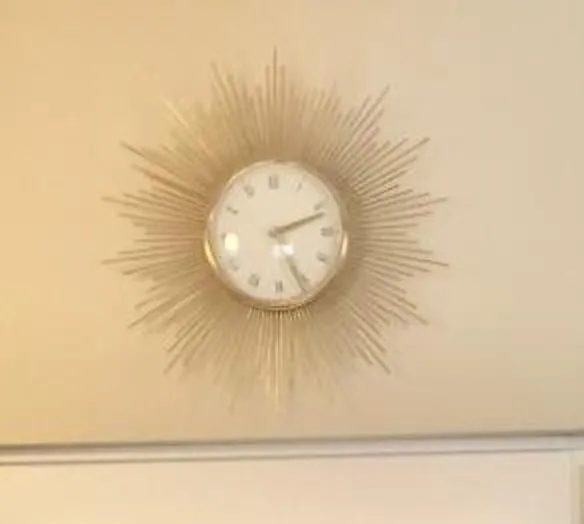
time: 5:11
